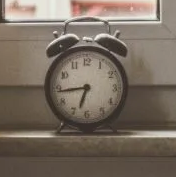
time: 6:43
